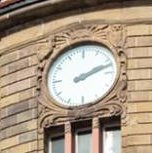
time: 2:12
